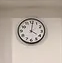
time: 4:01
